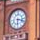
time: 6:17
